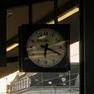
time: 6:19
